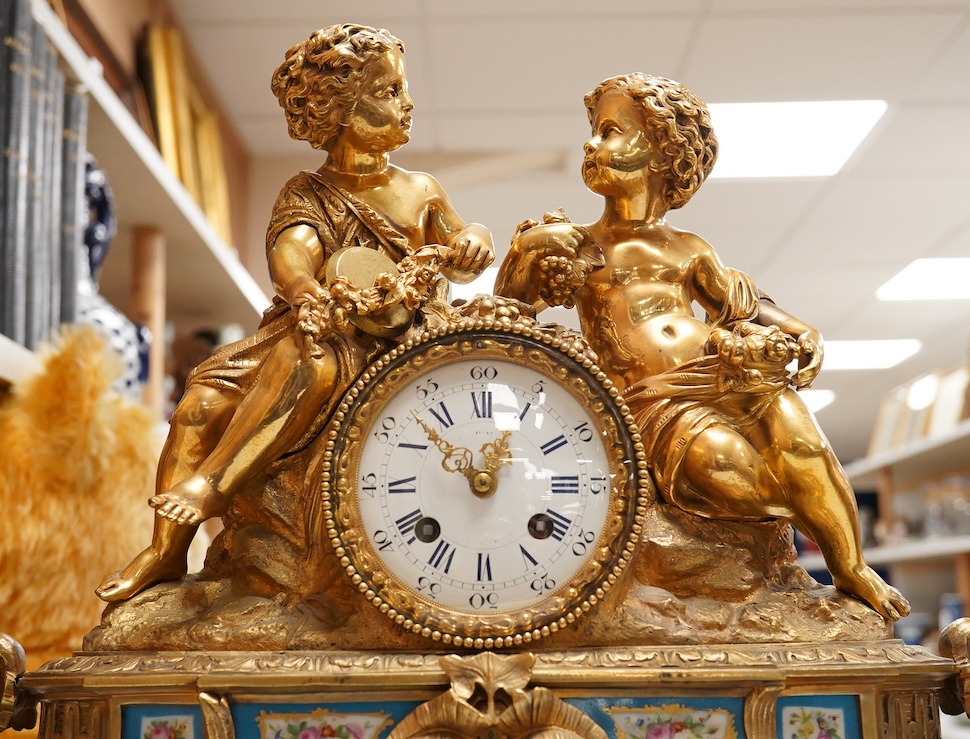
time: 12:52
